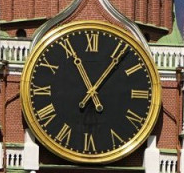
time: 11:06
